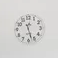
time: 12:27
